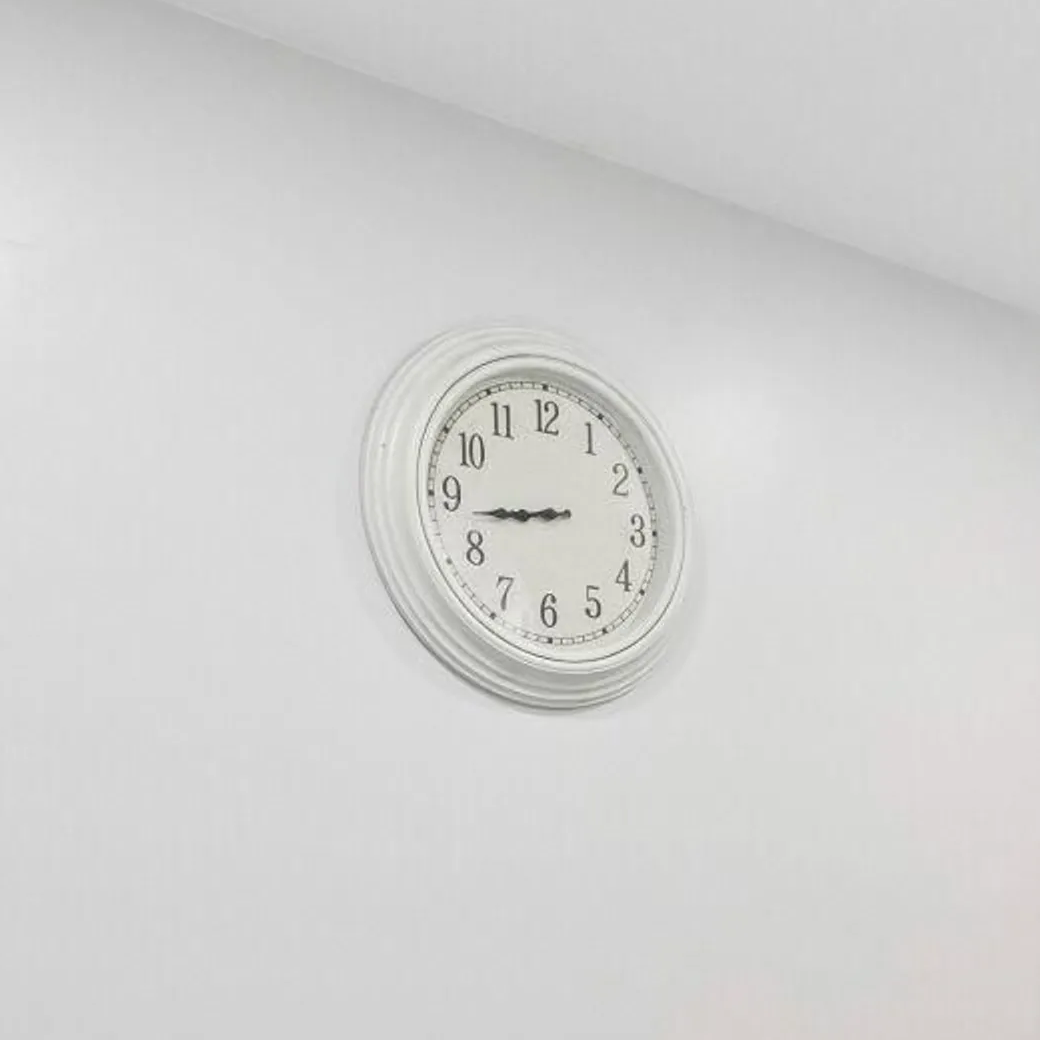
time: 8:43
